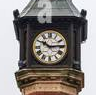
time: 10:14
